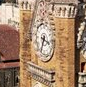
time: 3:33
